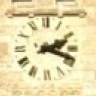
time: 2:18
